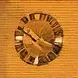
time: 10:18
